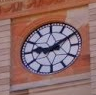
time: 9:09
